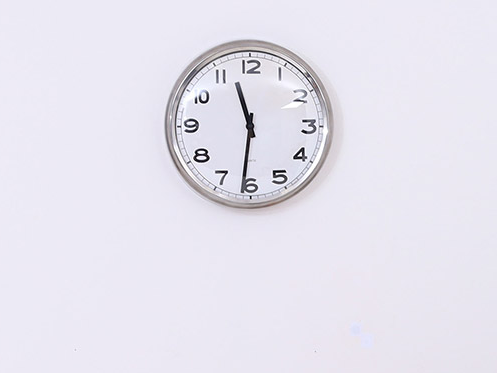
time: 11:31
